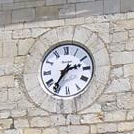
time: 2:35
